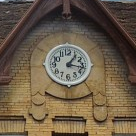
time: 1:16
